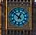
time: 12:52
